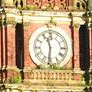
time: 11:31
